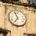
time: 6:56
